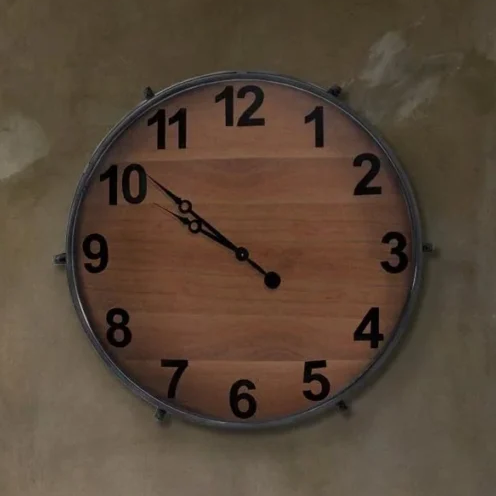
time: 9:51
